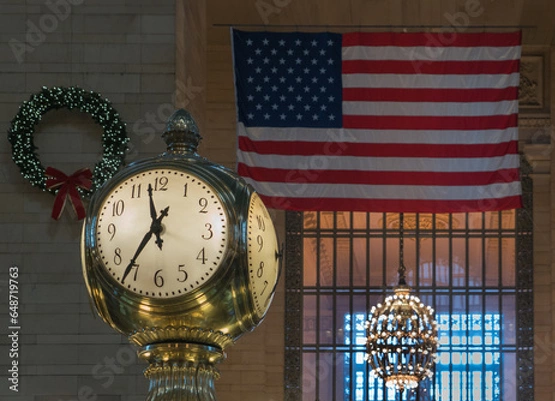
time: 11:35
